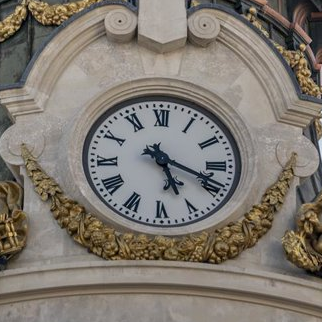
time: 5:18
